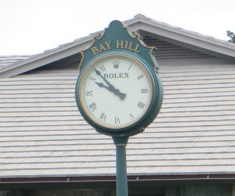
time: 9:53
